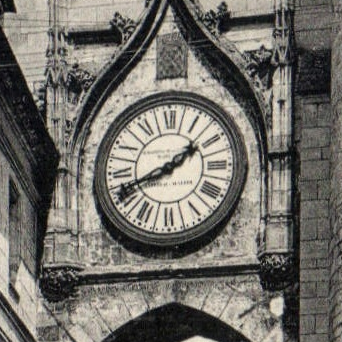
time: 1:41
